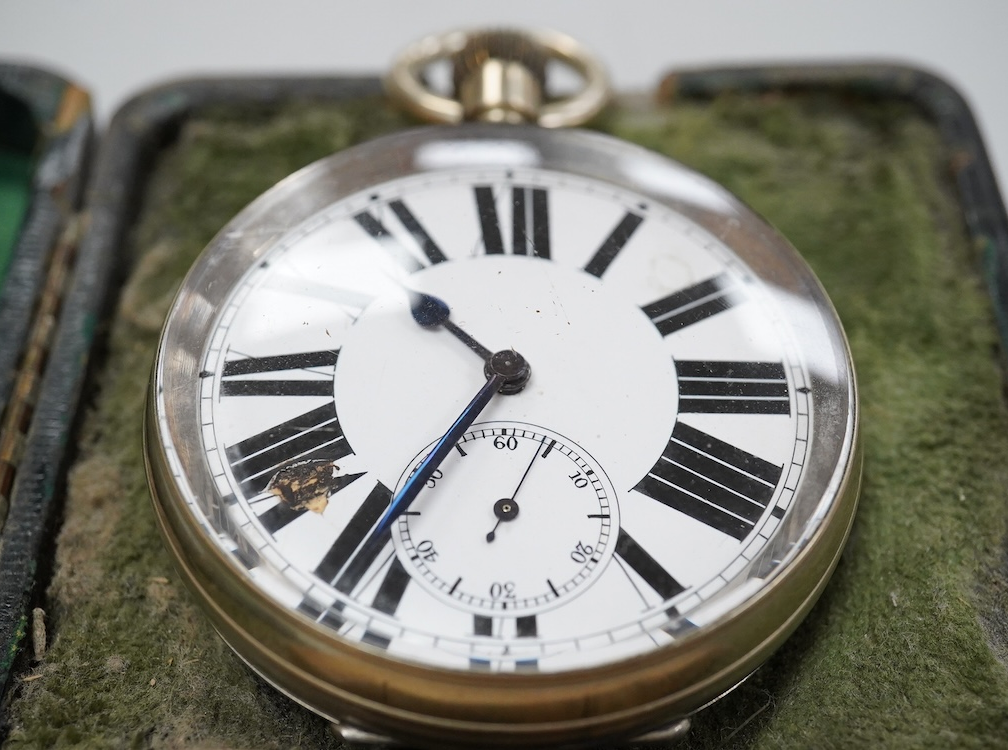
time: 10:35
